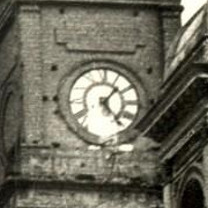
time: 1:23
